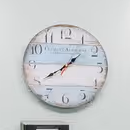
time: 1:39
